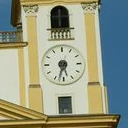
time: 5:32
